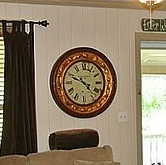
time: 4:49
